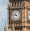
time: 10:46
